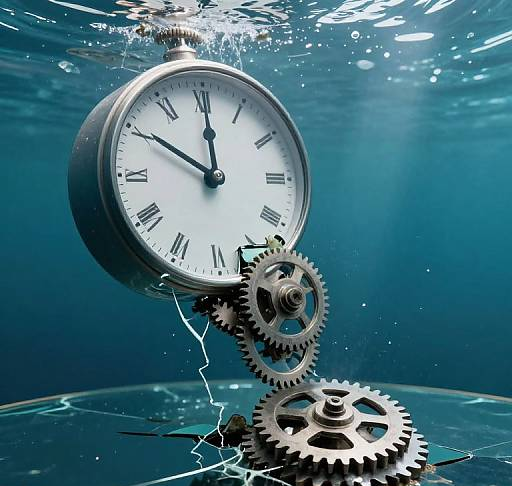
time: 11:50
